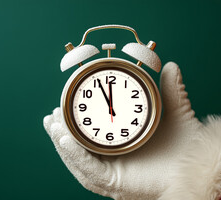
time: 11:55
